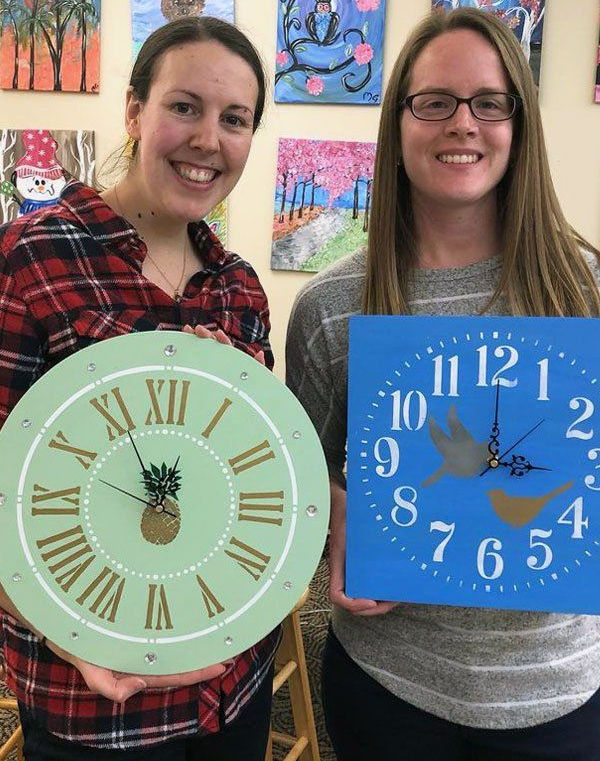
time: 11:55
